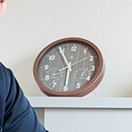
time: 5:54
